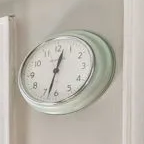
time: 12:32
